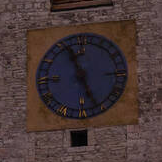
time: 11:26
